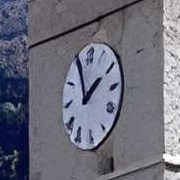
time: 1:56
